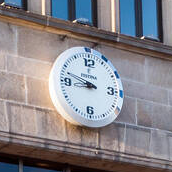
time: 8:48
